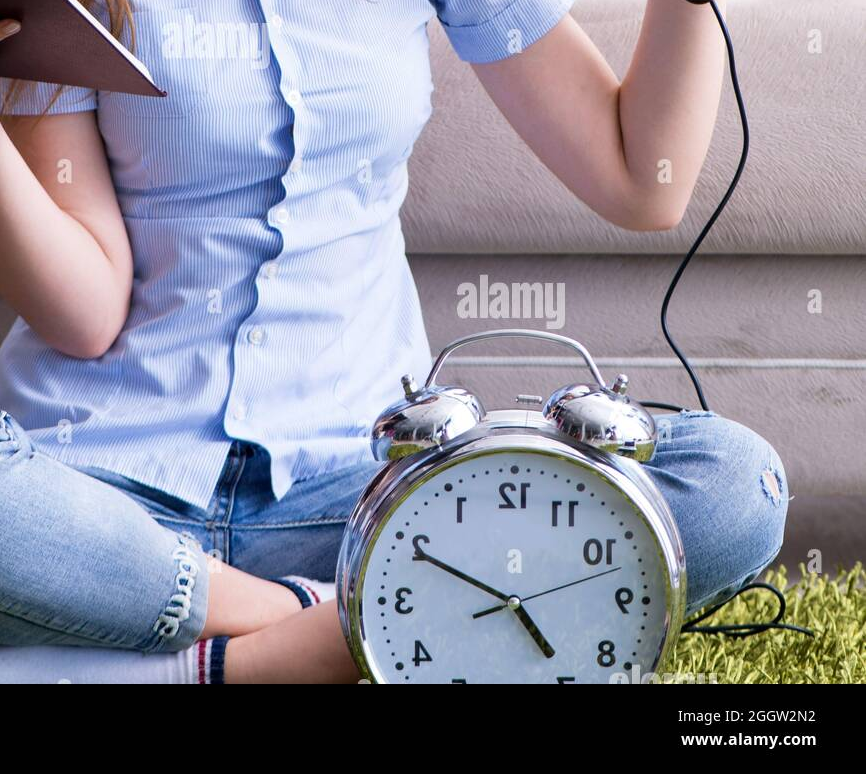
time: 4:49
